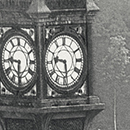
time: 9:28
